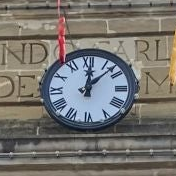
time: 12:07
